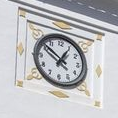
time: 12:51
